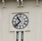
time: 10:37
